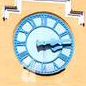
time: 3:13
